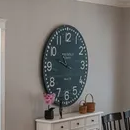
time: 10:48
